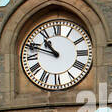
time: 10:48
